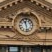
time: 11:28
